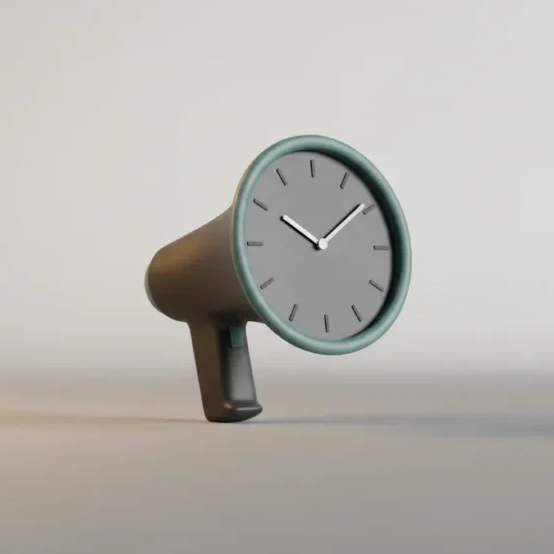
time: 10:08
